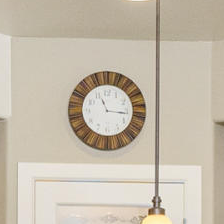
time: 11:16
